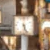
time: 5:26
